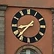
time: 8:36
